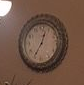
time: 12:34
